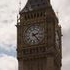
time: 2:23
